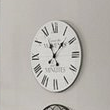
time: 11:07
